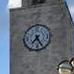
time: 7:25
